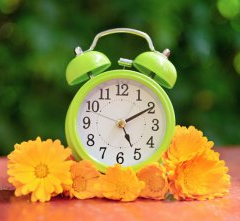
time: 5:10
